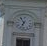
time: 6:54
